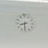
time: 8:31
